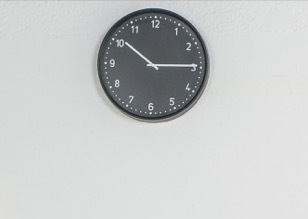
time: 2:50
